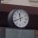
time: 11:40
